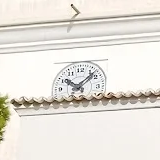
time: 10:07
